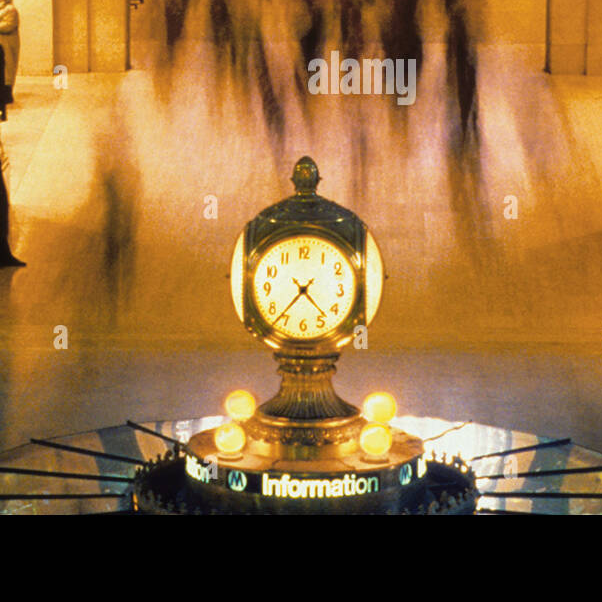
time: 4:37
